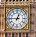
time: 12:45
